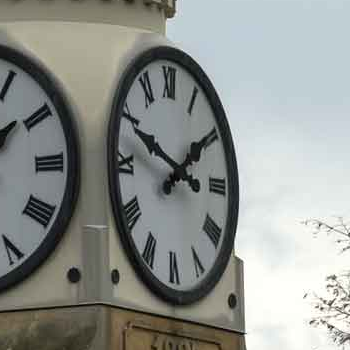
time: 1:49
